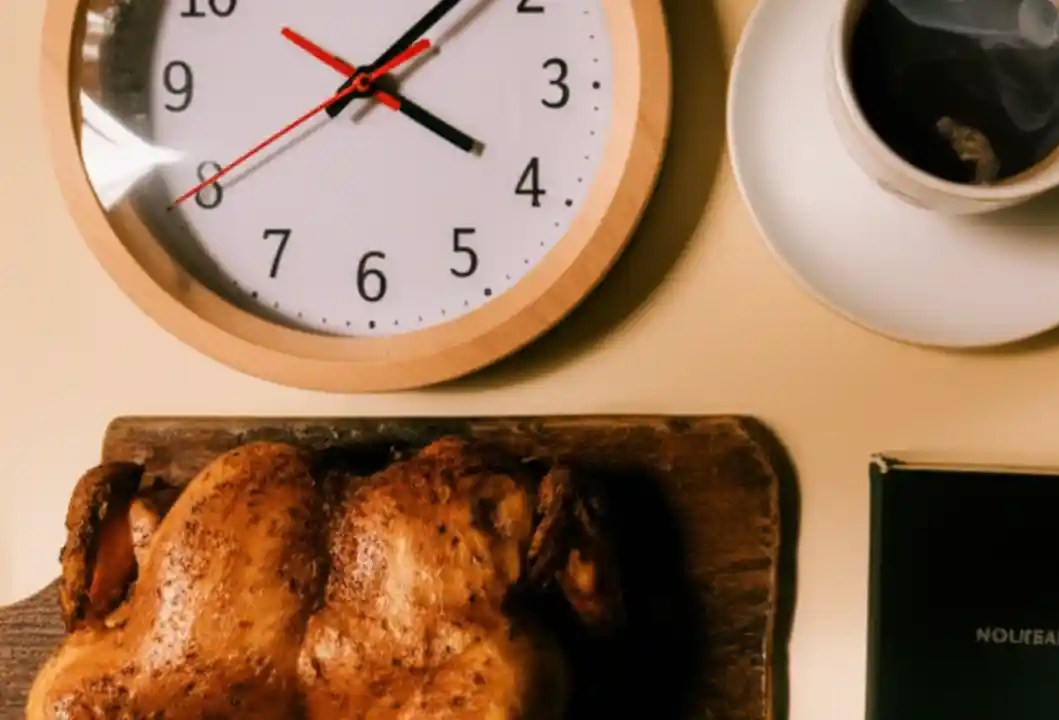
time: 4:07
